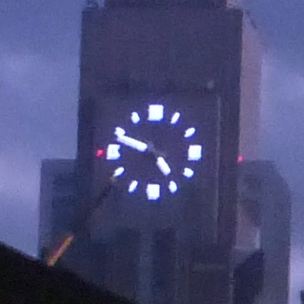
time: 4:48
